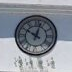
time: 10:02
